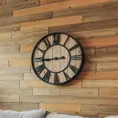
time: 8:44
